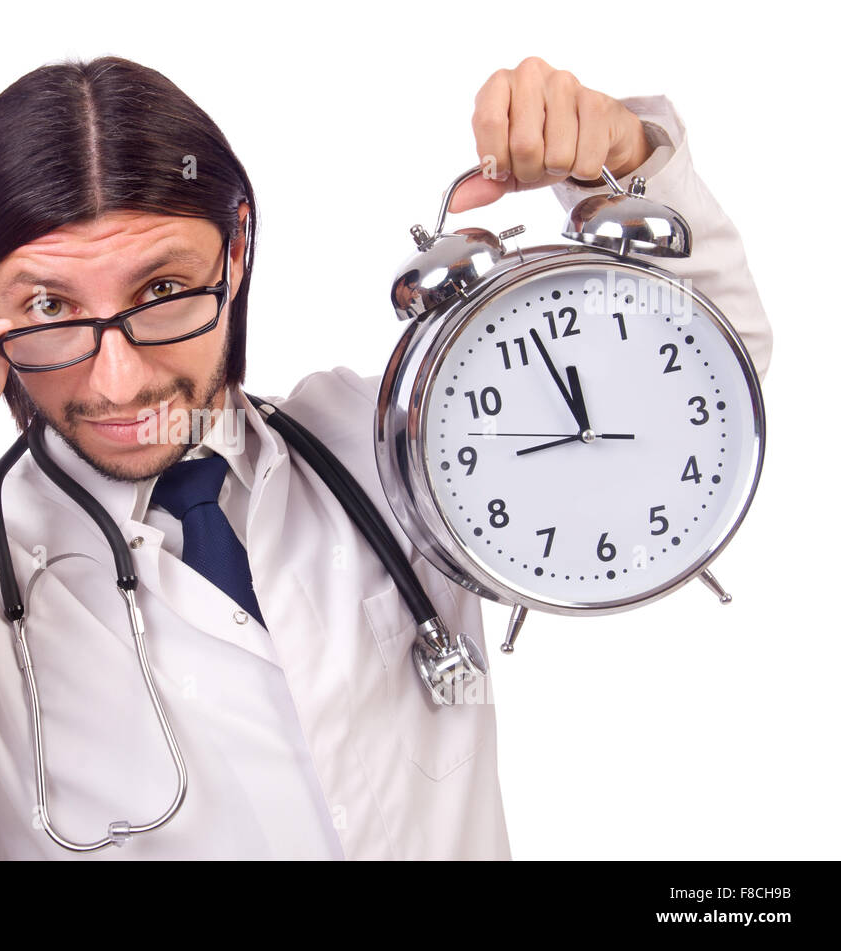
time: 11:57
